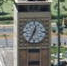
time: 12:34
